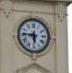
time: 5:45
